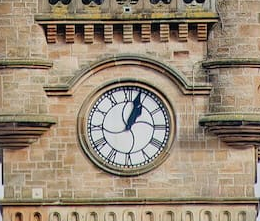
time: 1:03
